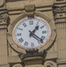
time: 1:22
